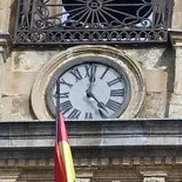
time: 12:23
